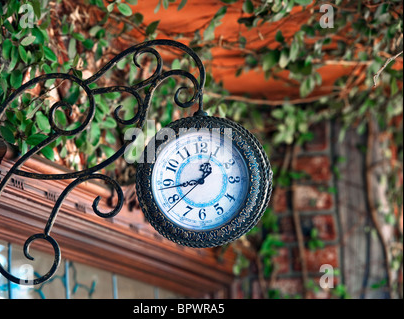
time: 12:43
